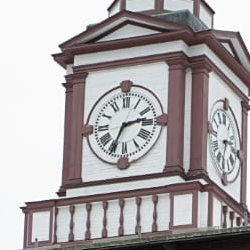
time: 2:34
